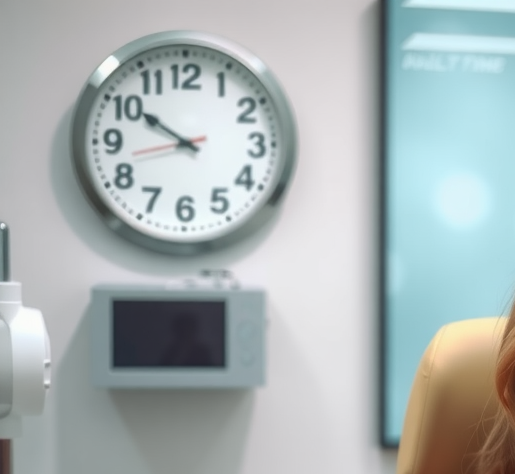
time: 9:50
